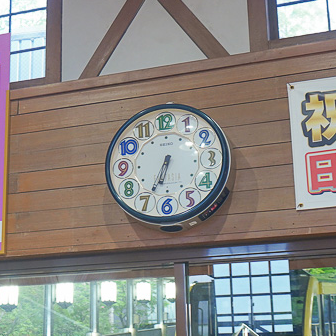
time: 6:34
